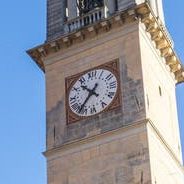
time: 10:37
